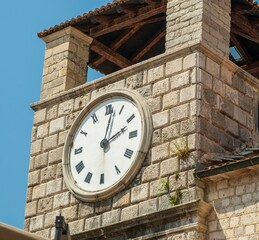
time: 2:01
